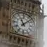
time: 11:07
